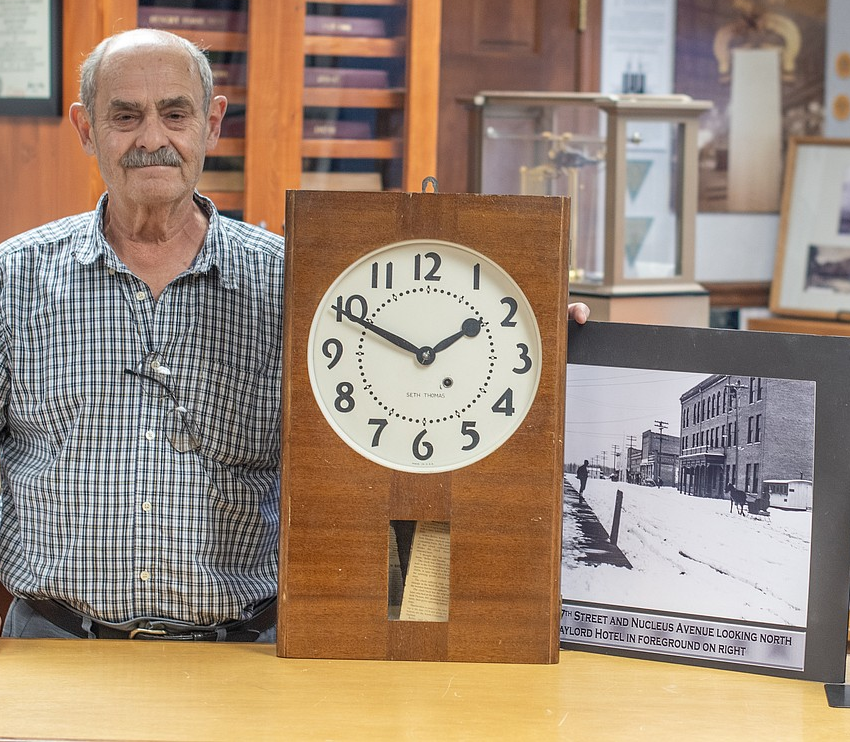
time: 1:49
